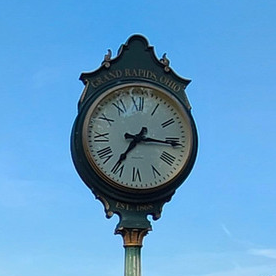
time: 7:15
